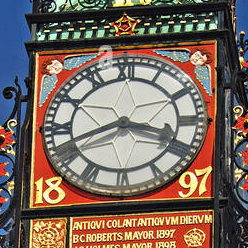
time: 3:41
